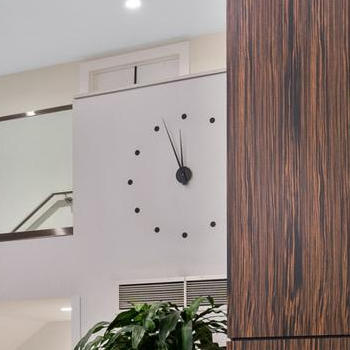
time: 11:56
